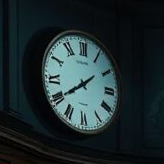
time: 1:39
